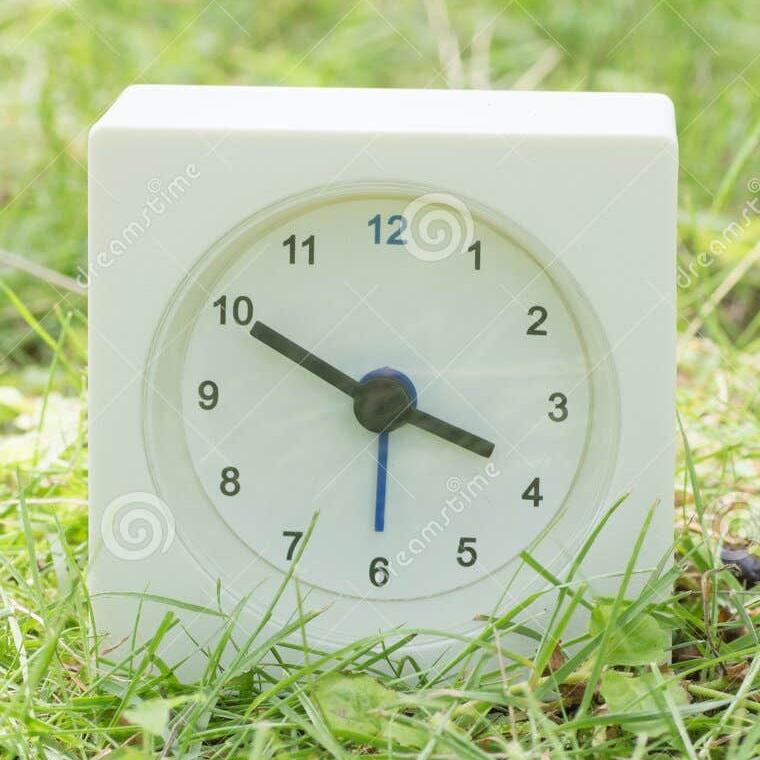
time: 3:50
